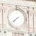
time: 7:37
